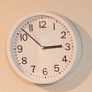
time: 2:52
